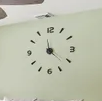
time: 4:21
